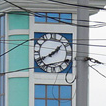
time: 1:40
